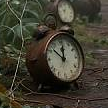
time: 11:51
